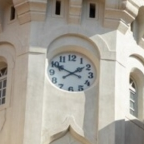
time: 1:49
